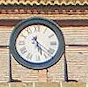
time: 5:21
